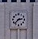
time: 2:37
